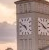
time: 4:49
